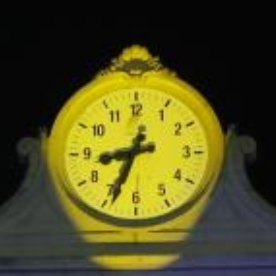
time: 8:33
